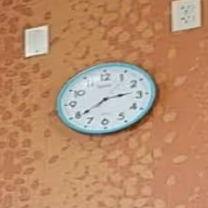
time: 2:39
